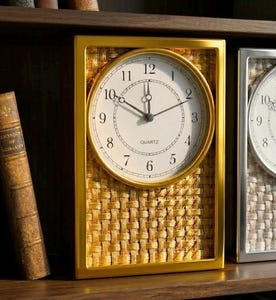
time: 11:49
